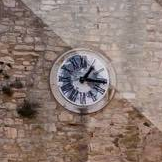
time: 1:16
